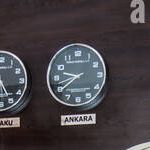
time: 9:39
